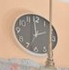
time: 1:59
